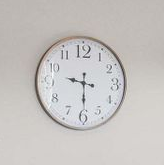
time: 9:29
